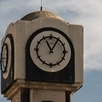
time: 11:05
